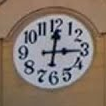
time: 12:14
